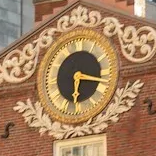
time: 6:17
